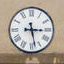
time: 3:28
